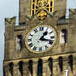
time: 1:18
